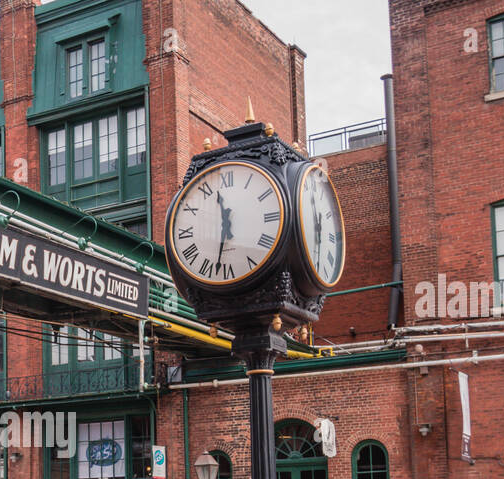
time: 11:32
